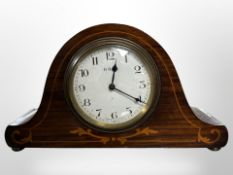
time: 12:20
